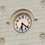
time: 6:21
